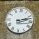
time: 2:12
